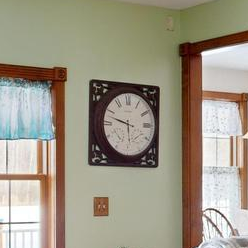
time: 9:47
